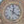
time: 12:20
